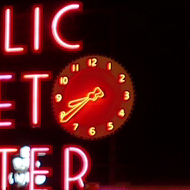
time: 8:38
